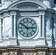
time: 2:50
